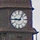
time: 9:07
